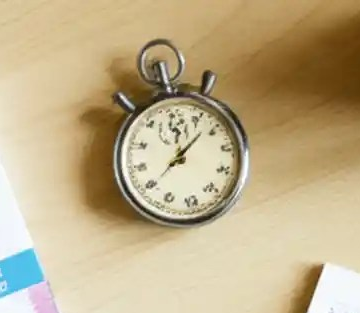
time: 12:08
